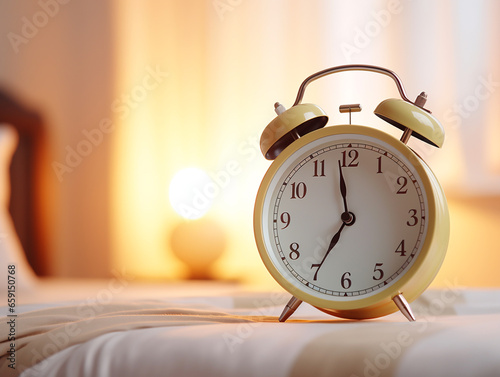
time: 6:58
